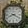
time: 8:19
